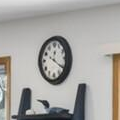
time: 12:20
